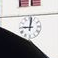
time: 9:01
